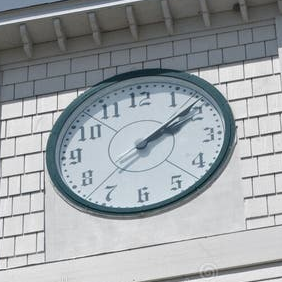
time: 2:08
